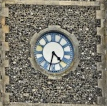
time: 4:32
